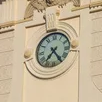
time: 7:23
